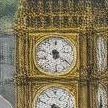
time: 6:20
